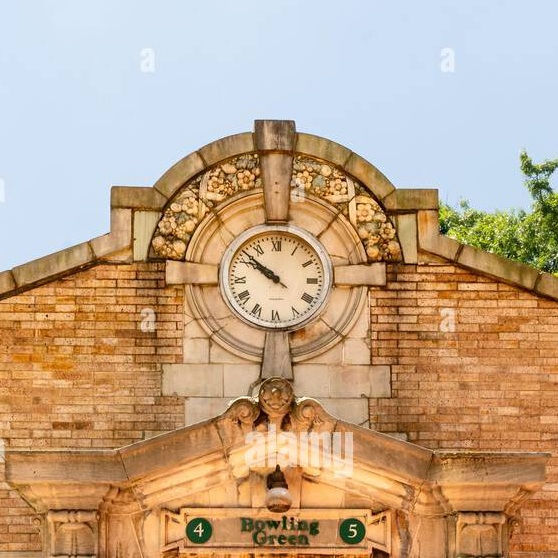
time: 9:51
